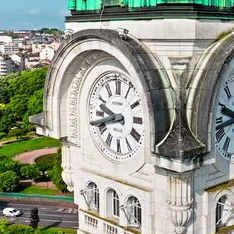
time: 9:42
